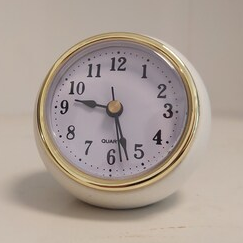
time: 9:27
